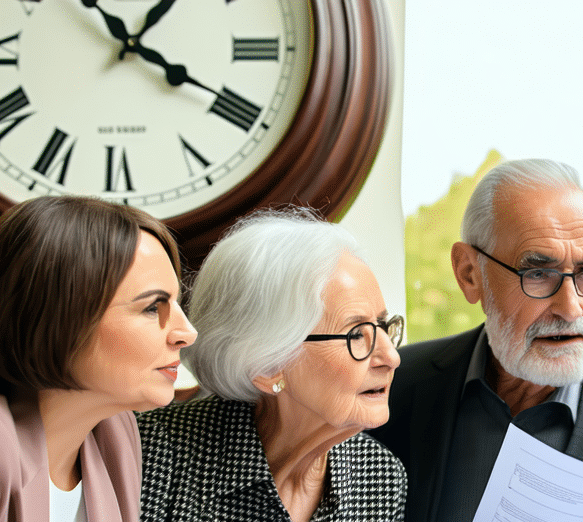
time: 1:19
